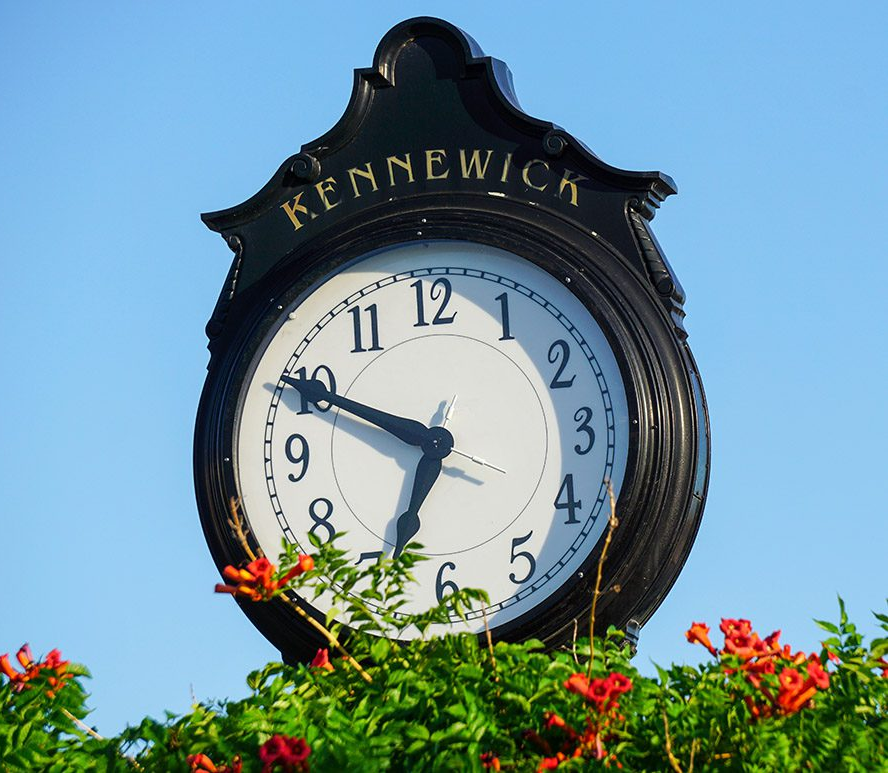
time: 6:49
